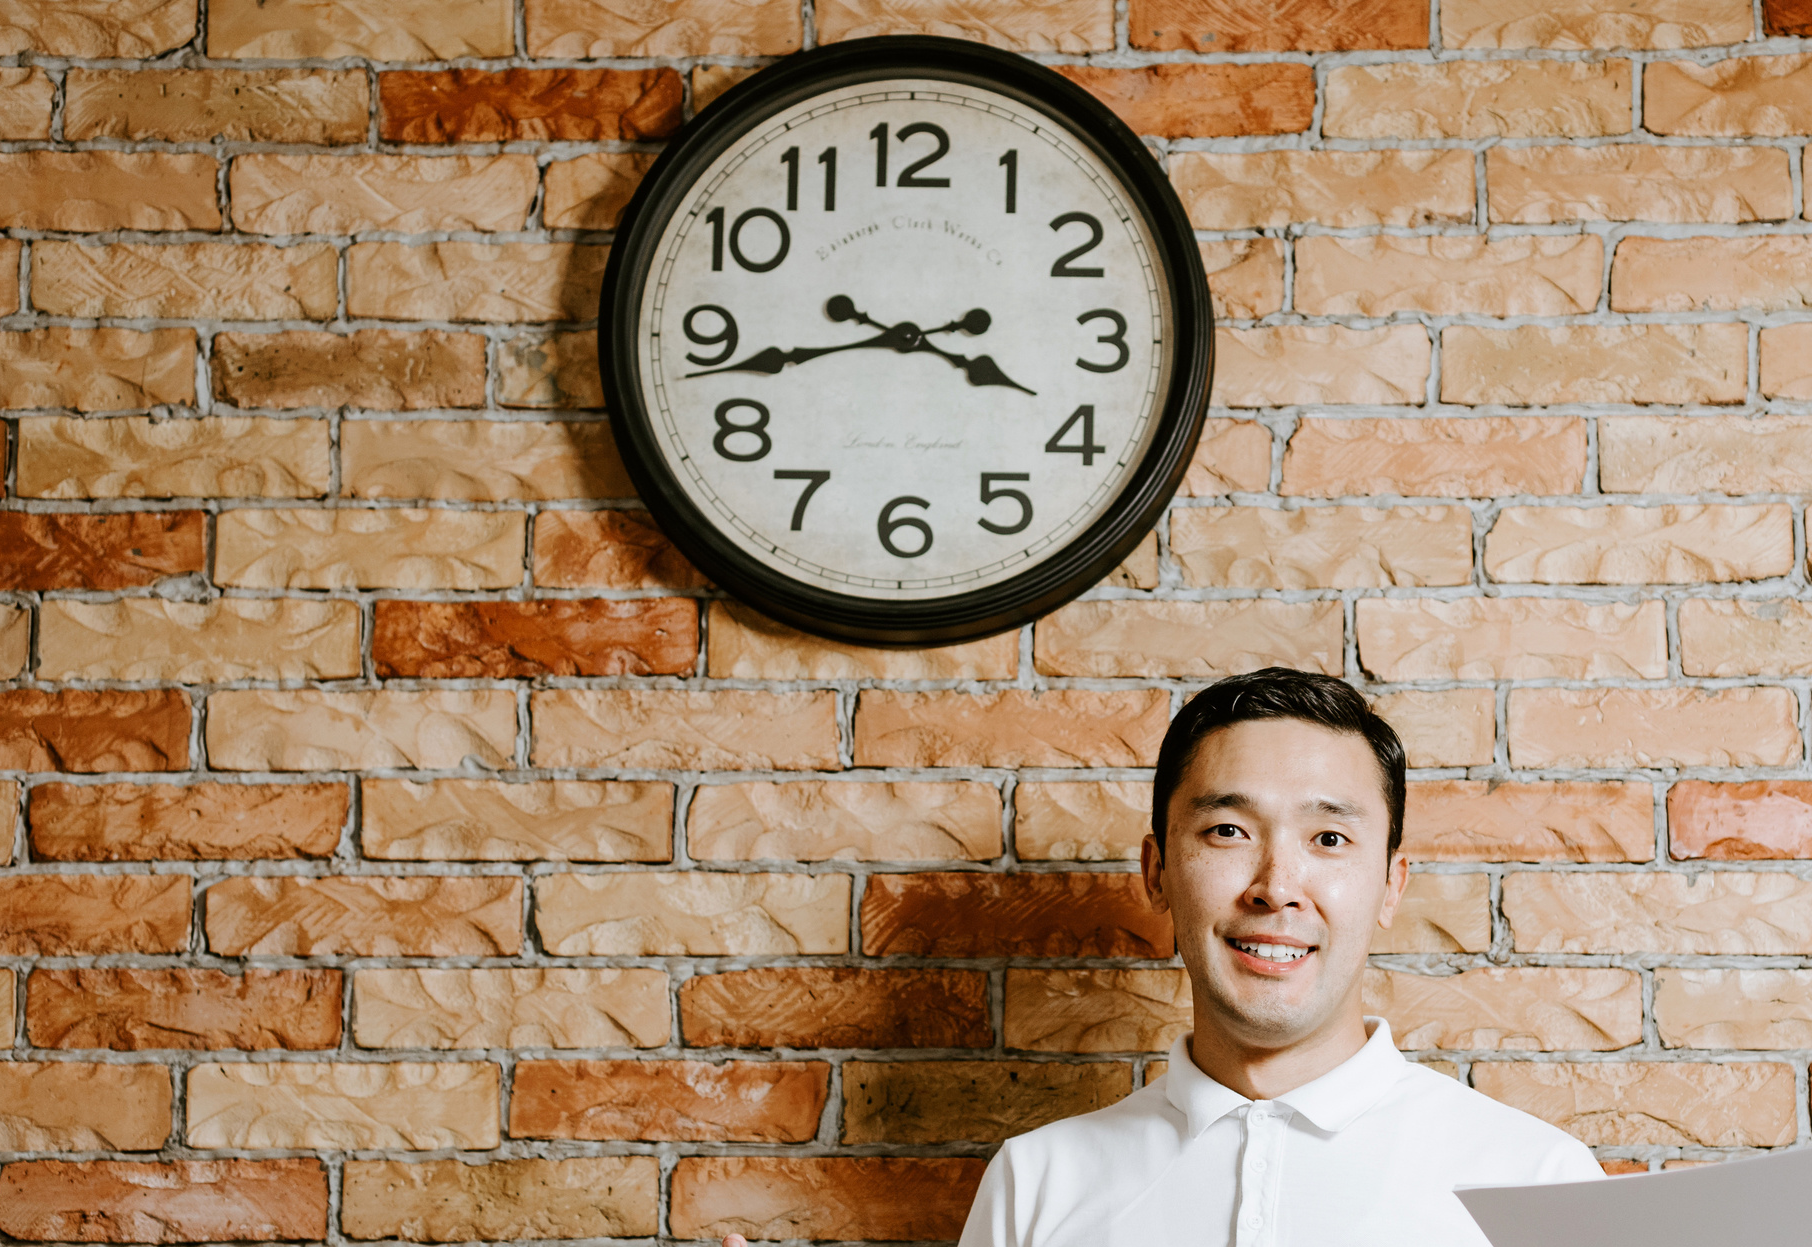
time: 3:43
